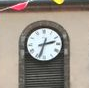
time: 2:33
